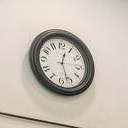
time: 12:27
